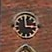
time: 12:14
